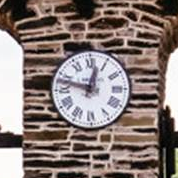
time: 12:47
